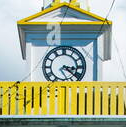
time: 3:22
